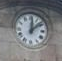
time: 12:08
